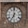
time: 7:00
